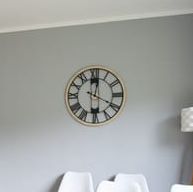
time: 12:19
